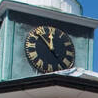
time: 11:52
